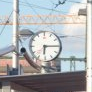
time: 6:15
